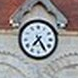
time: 7:24
